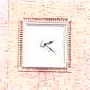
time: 2:21
